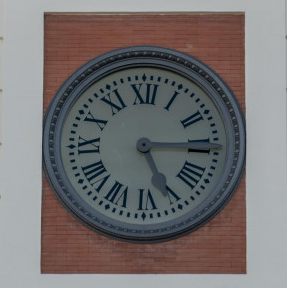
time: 5:15
